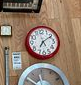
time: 7:09
